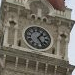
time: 5:06
